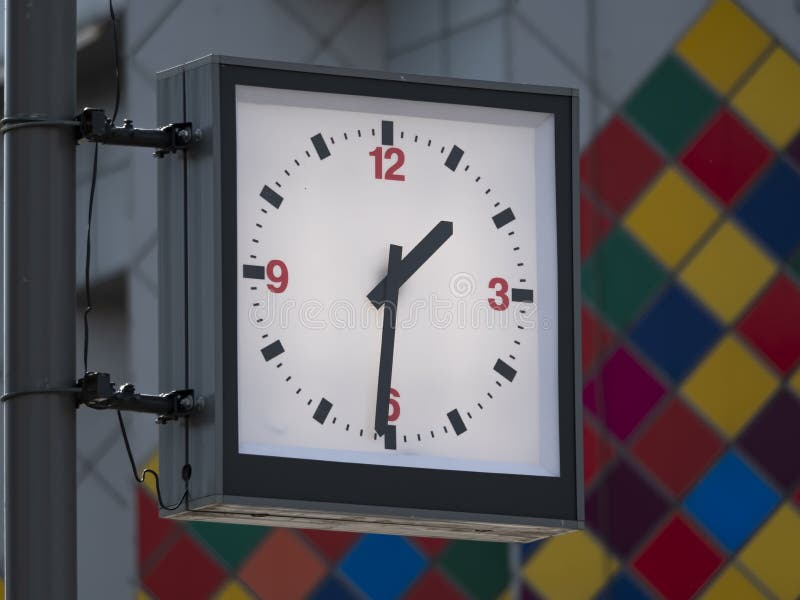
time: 1:30
